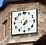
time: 7:14
